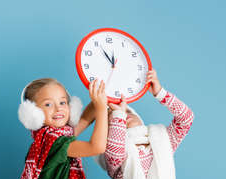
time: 11:55
